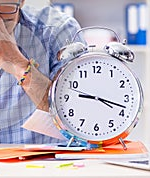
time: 9:17
